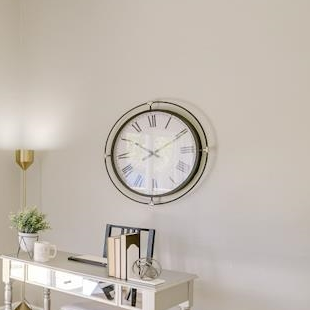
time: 10:10
